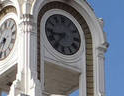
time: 8:36
